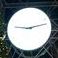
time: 9:12
